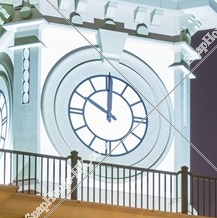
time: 10:00
